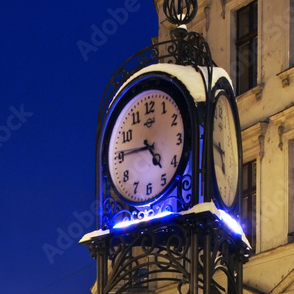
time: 4:45
